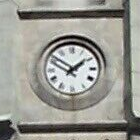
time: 1:50
